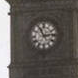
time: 11:13
